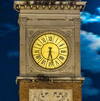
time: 6:27
